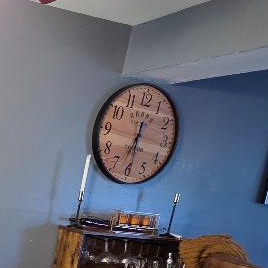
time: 6:29
